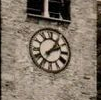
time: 2:06
